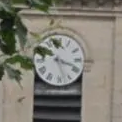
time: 10:18
